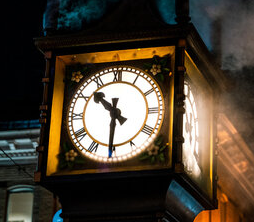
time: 10:30
